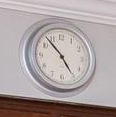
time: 4:53
